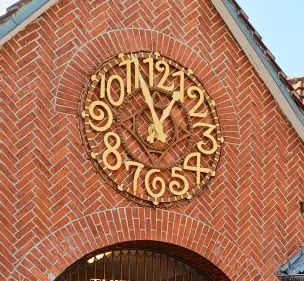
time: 12:57
